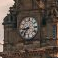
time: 8:36
